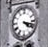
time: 4:17
